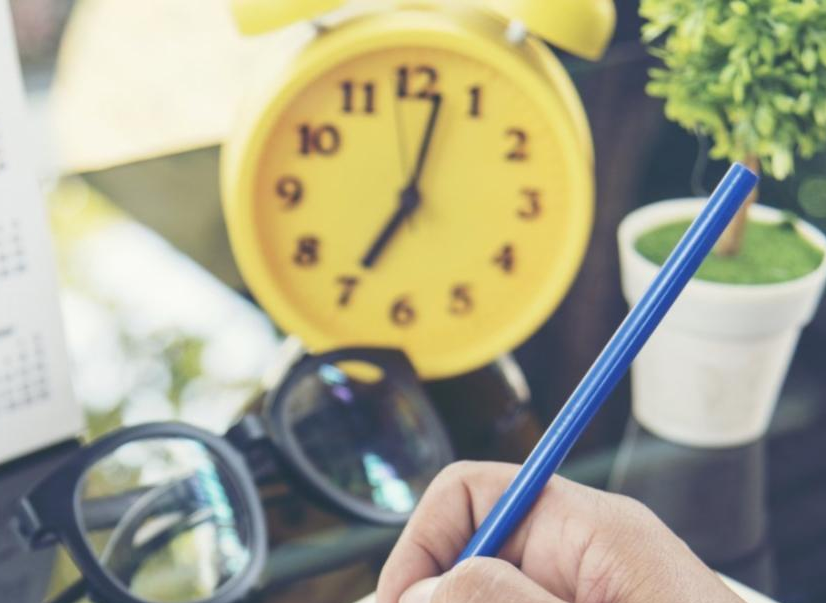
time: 7:02
